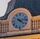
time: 4:13
